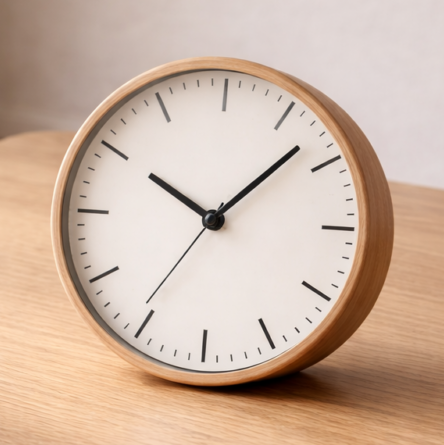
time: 10:07
